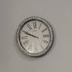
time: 9:48
